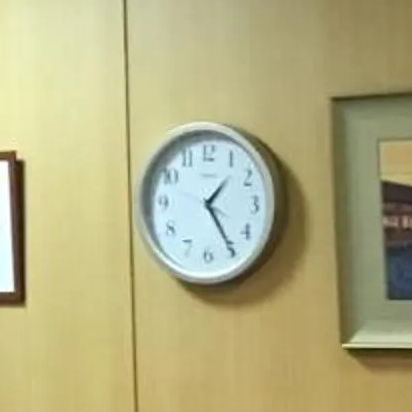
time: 1:24
